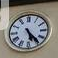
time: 5:23
